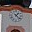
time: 1:22
